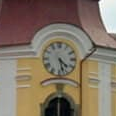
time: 4:27
